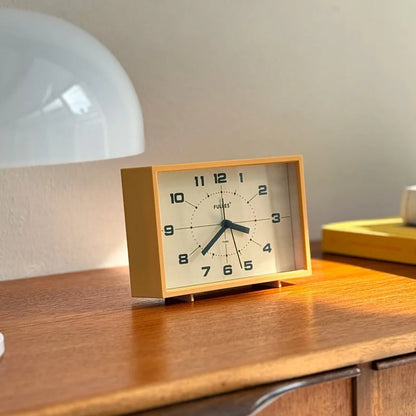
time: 3:37
